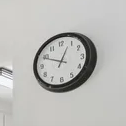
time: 12:49
